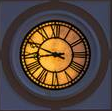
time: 8:48
